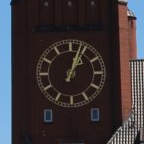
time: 1:03
